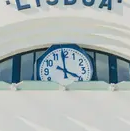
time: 3:58
